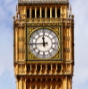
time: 11:44
